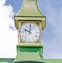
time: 10:00
